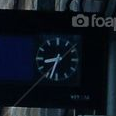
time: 8:33
